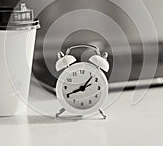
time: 8:06
